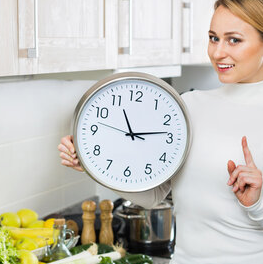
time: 11:13
